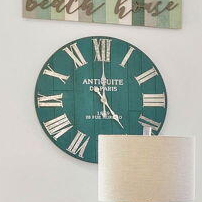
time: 5:00
